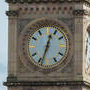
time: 12:33
